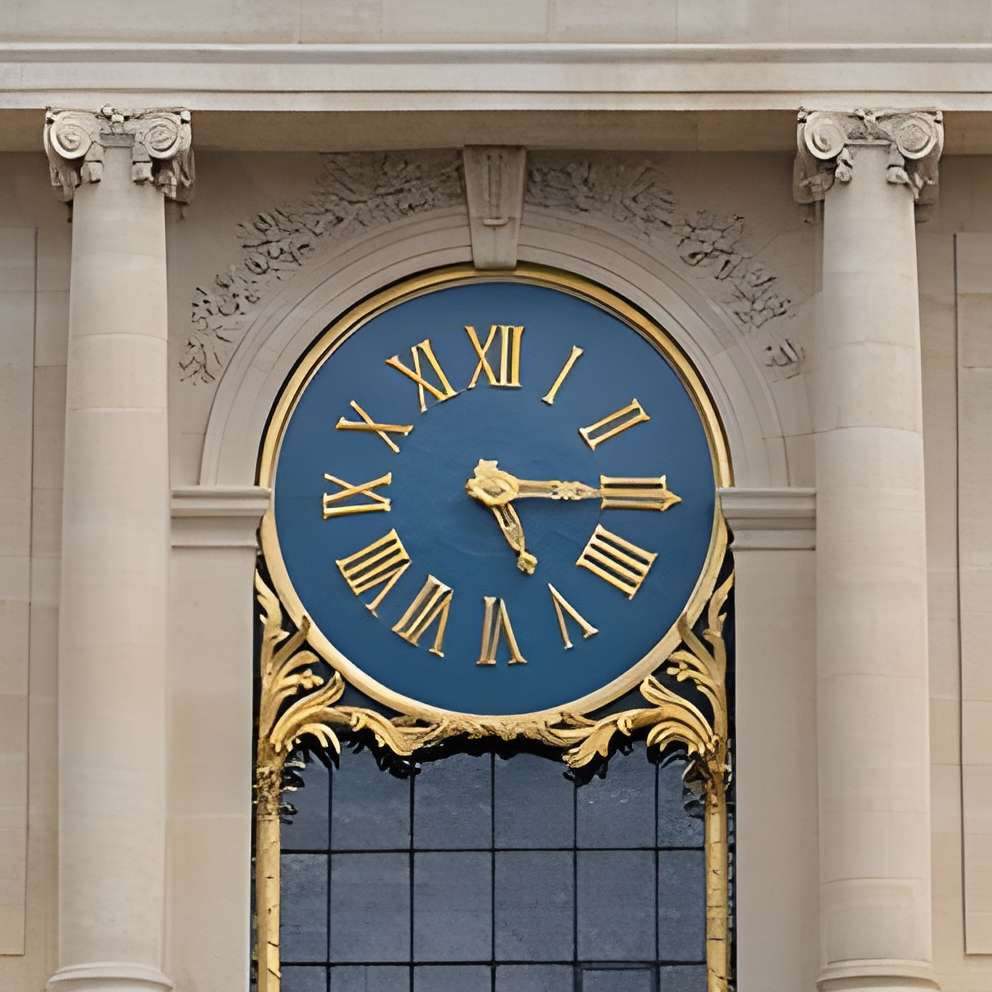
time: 5:15
